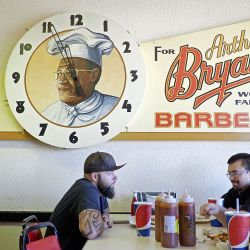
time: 4:56
